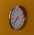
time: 7:37
